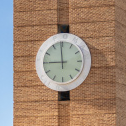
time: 8:59
